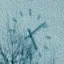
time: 5:09
